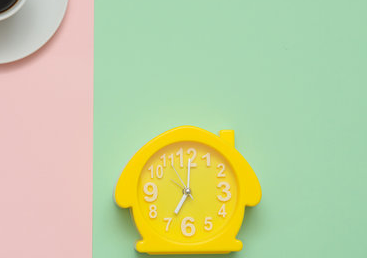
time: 7:00
